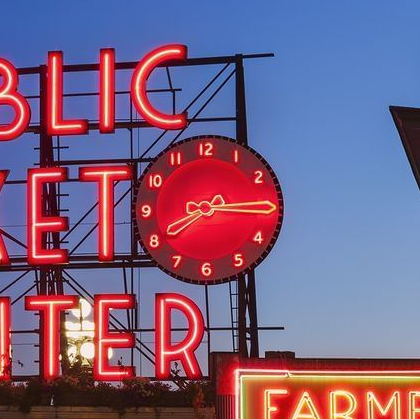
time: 8:14
